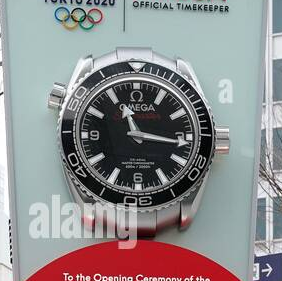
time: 11:16
